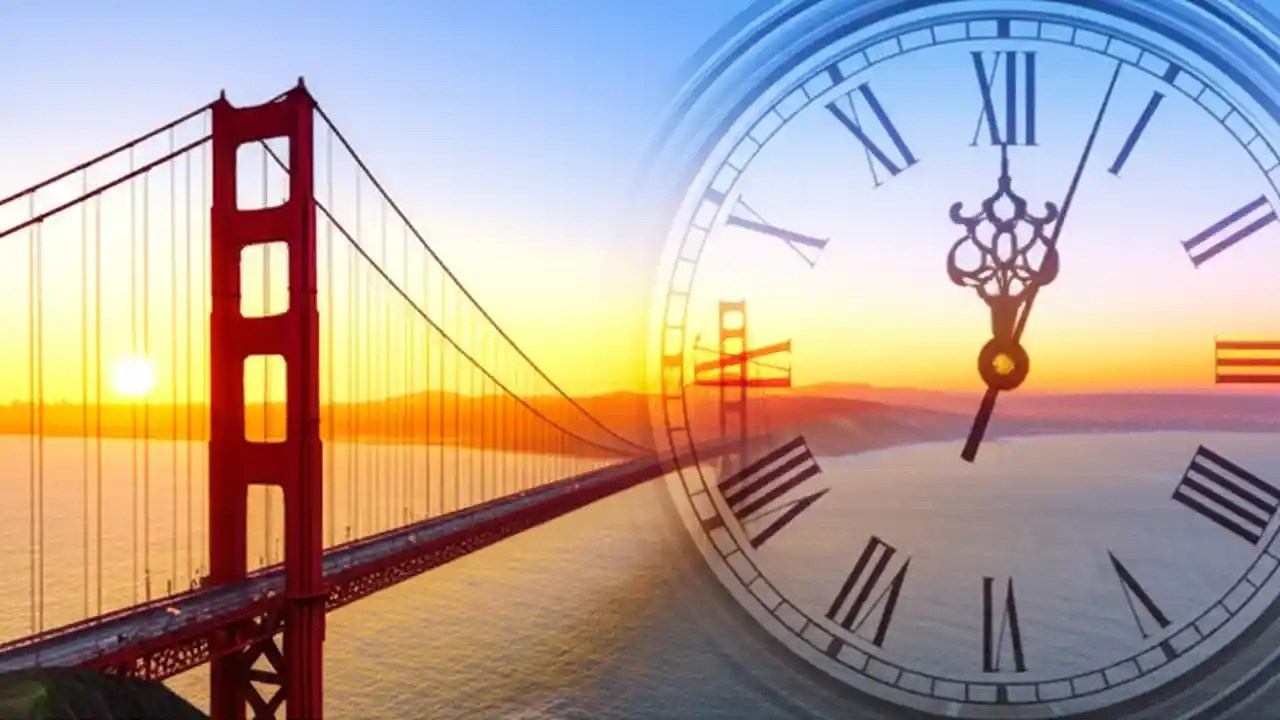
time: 12:03
